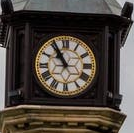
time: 10:55
